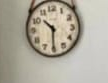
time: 10:30
